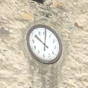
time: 10:00
